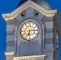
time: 6:14
